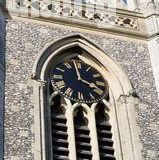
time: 3:58
